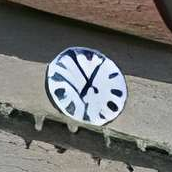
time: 12:54
